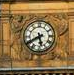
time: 5:40
